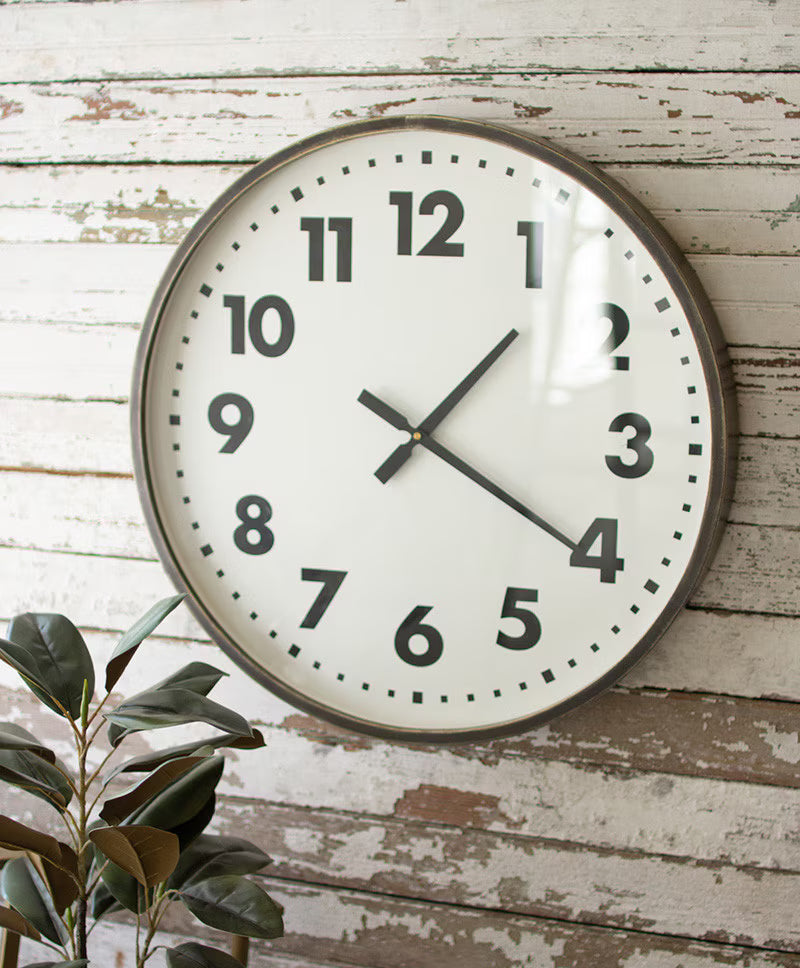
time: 1:20
